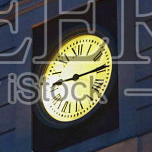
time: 9:14
